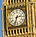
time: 2:33
